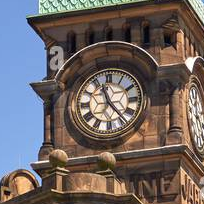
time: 11:23
